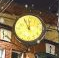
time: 11:55
